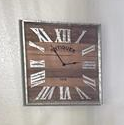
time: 2:54
